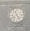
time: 11:25
